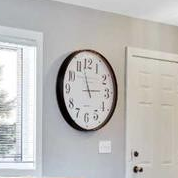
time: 2:57
